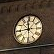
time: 11:44
